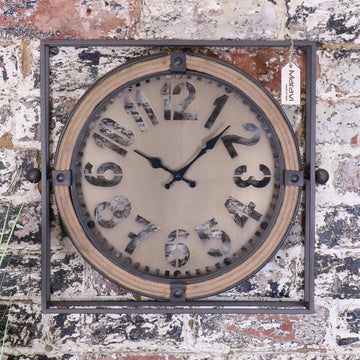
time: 10:07
